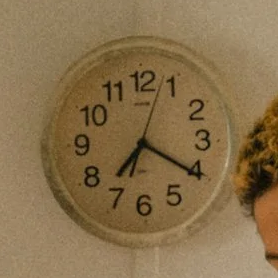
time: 7:20
